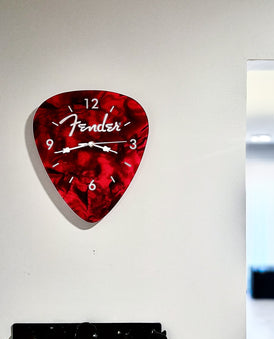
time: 3:42
